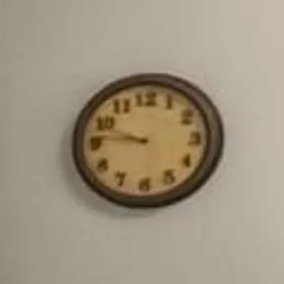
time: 9:46
